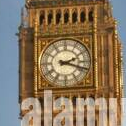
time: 2:18
